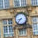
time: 8:37
